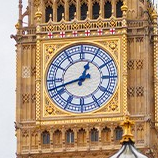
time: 12:42
